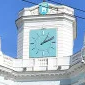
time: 1:10
